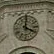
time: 4:01
